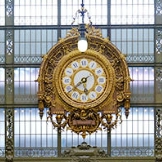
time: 5:38
